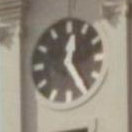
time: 12:24
